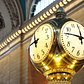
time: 11:46
